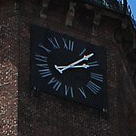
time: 2:07
